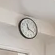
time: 11:19
